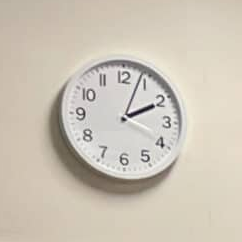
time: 2:03
